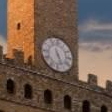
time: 5:26
